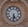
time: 5:30
